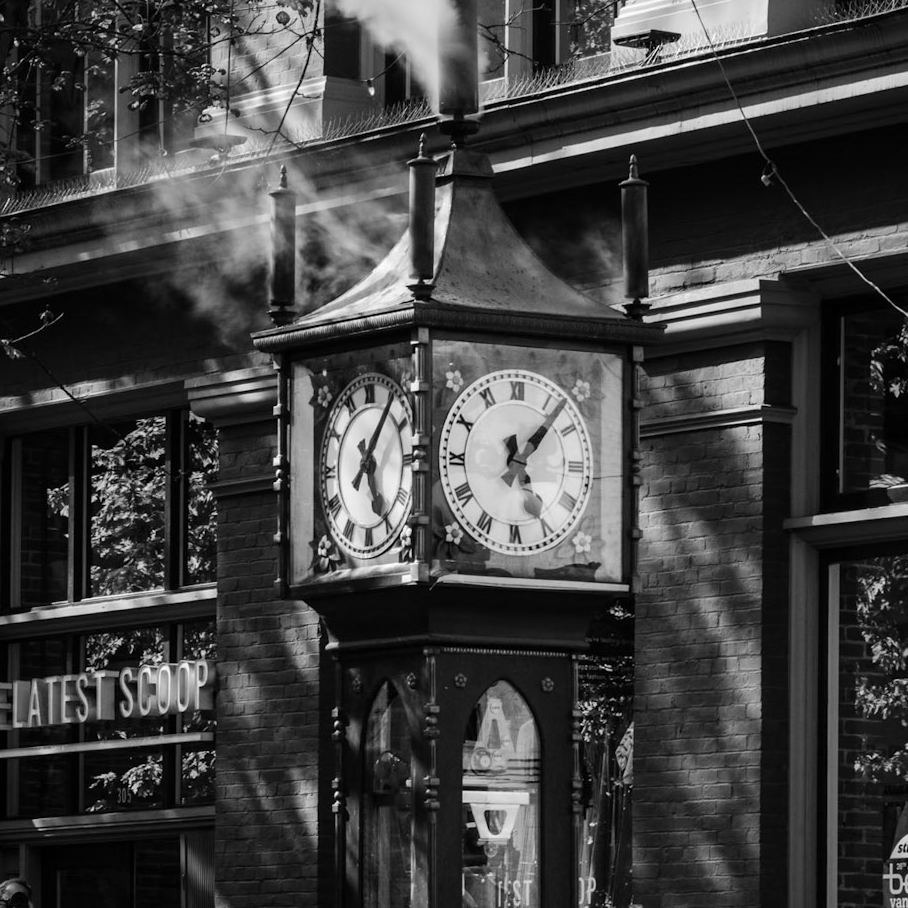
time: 5:06
